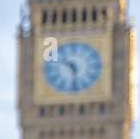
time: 10:28
